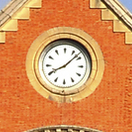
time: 8:07
